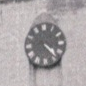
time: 4:21
